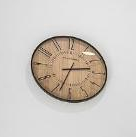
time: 2:33
